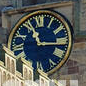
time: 11:15
